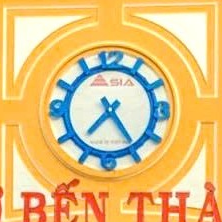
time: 7:24
